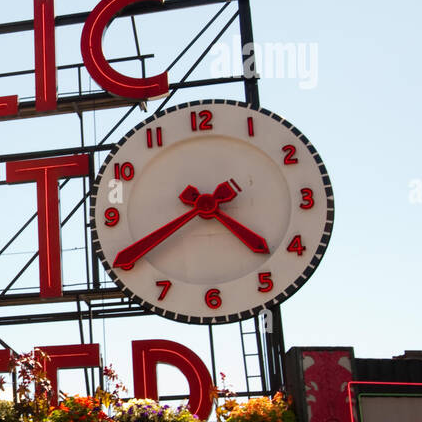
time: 4:40
